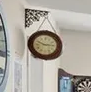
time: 2:48
